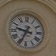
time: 9:34
